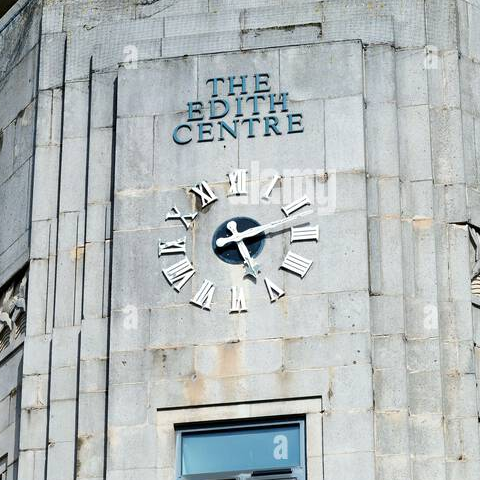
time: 5:13
